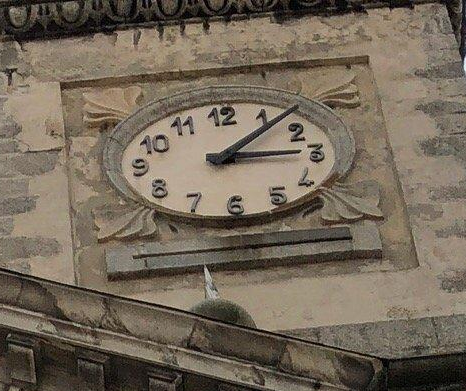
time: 3:07
